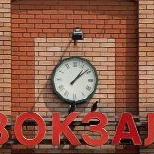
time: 1:08
